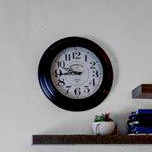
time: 9:43
